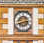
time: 2:40
